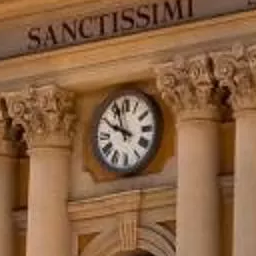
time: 9:57
